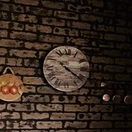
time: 4:21
